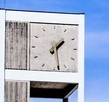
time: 1:28
